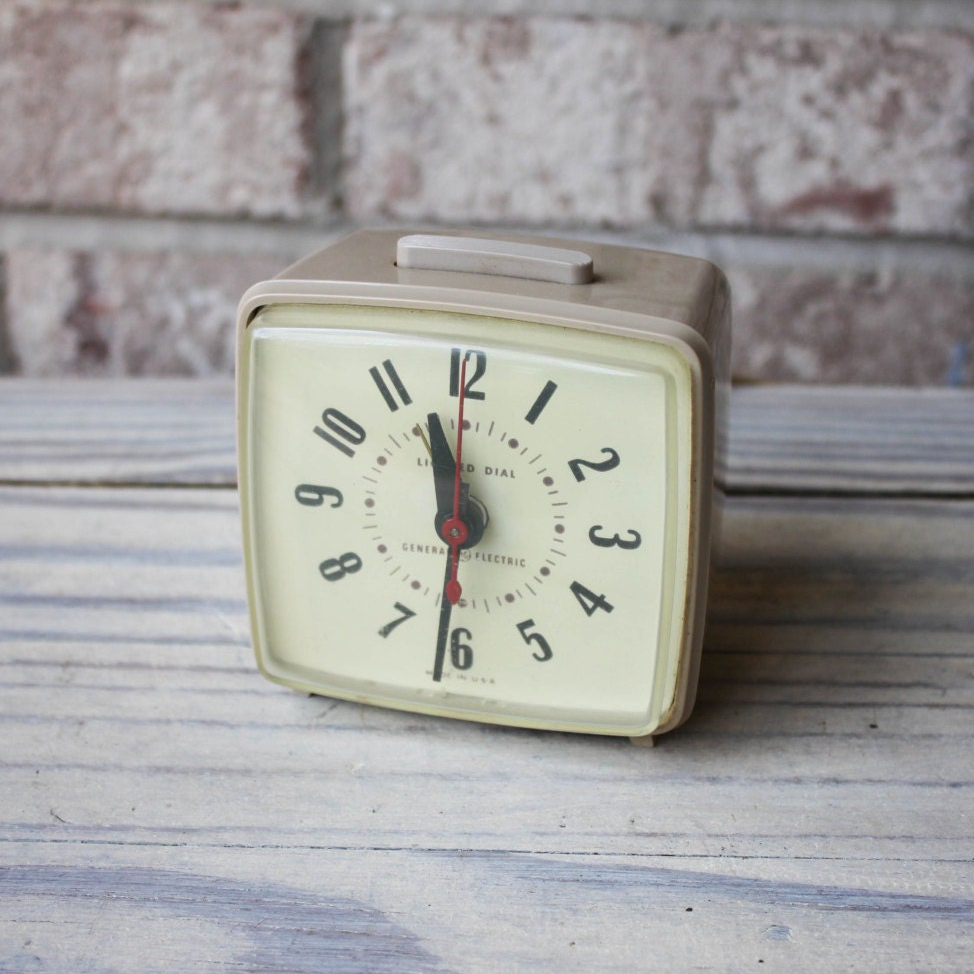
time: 11:31
